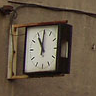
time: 11:00
